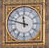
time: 11:47
